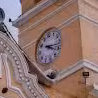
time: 4:17
